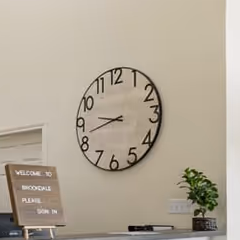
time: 9:42
